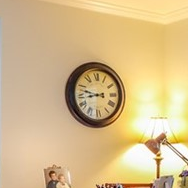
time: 8:47
